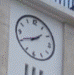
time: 1:40
